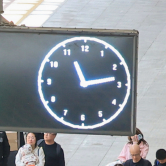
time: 11:13
